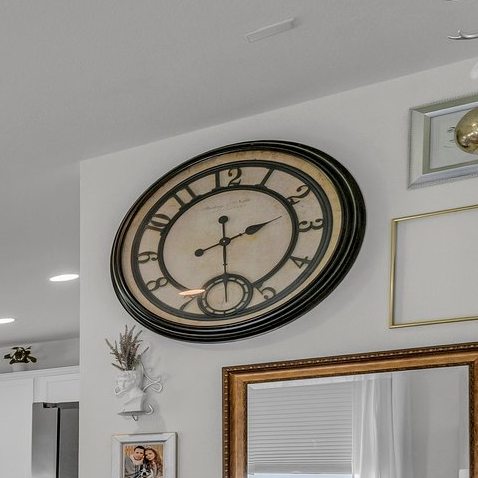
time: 2:29
